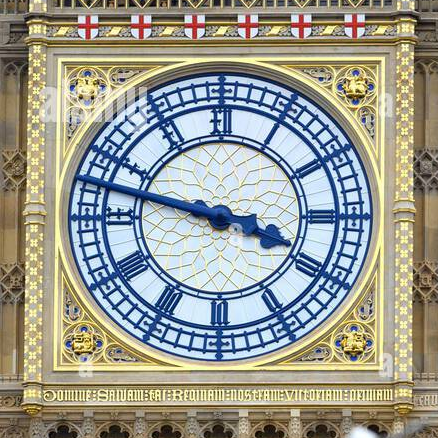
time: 3:47
